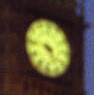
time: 4:46
